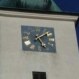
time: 5:08
